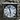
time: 11:28
